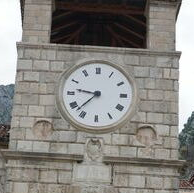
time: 9:37
